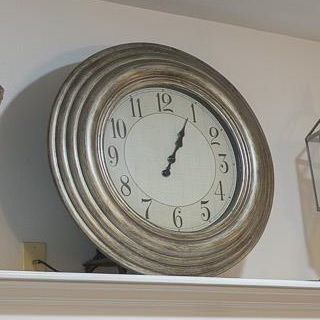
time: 1:04
